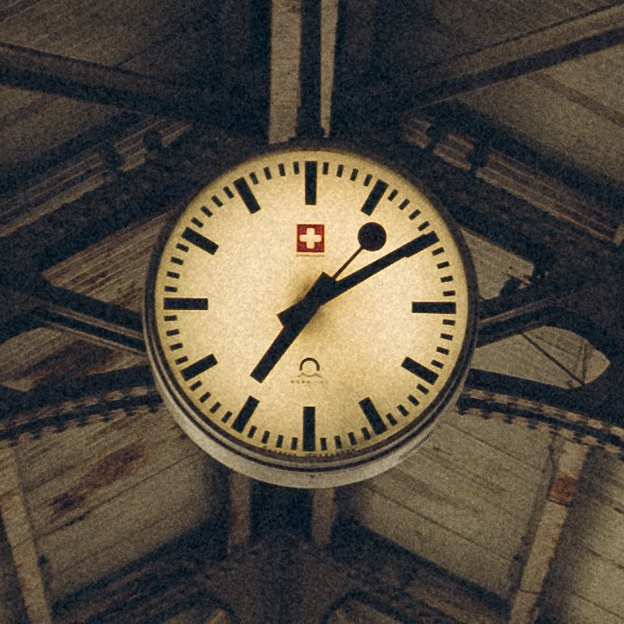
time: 7:09
